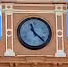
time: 11:22
